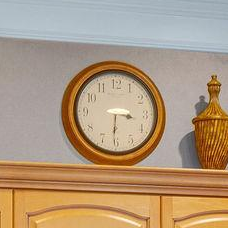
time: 3:30
